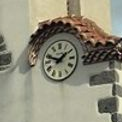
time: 1:48
